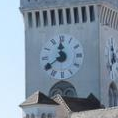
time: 11:39
